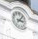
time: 3:07
